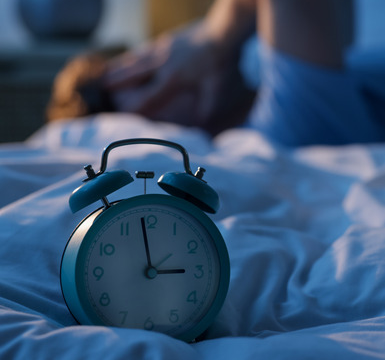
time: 2:58
